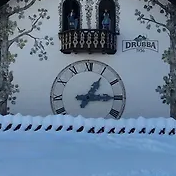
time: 1:14
